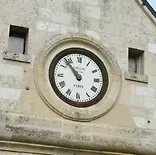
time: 10:53
